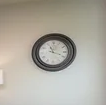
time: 11:18
